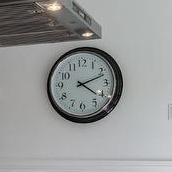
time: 4:11
